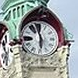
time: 5:57
